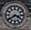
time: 3:39
